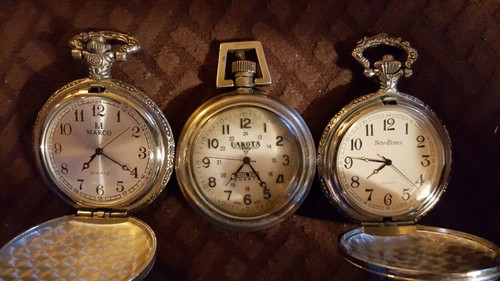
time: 7:24
